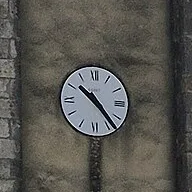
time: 10:23
